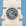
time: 1:18
